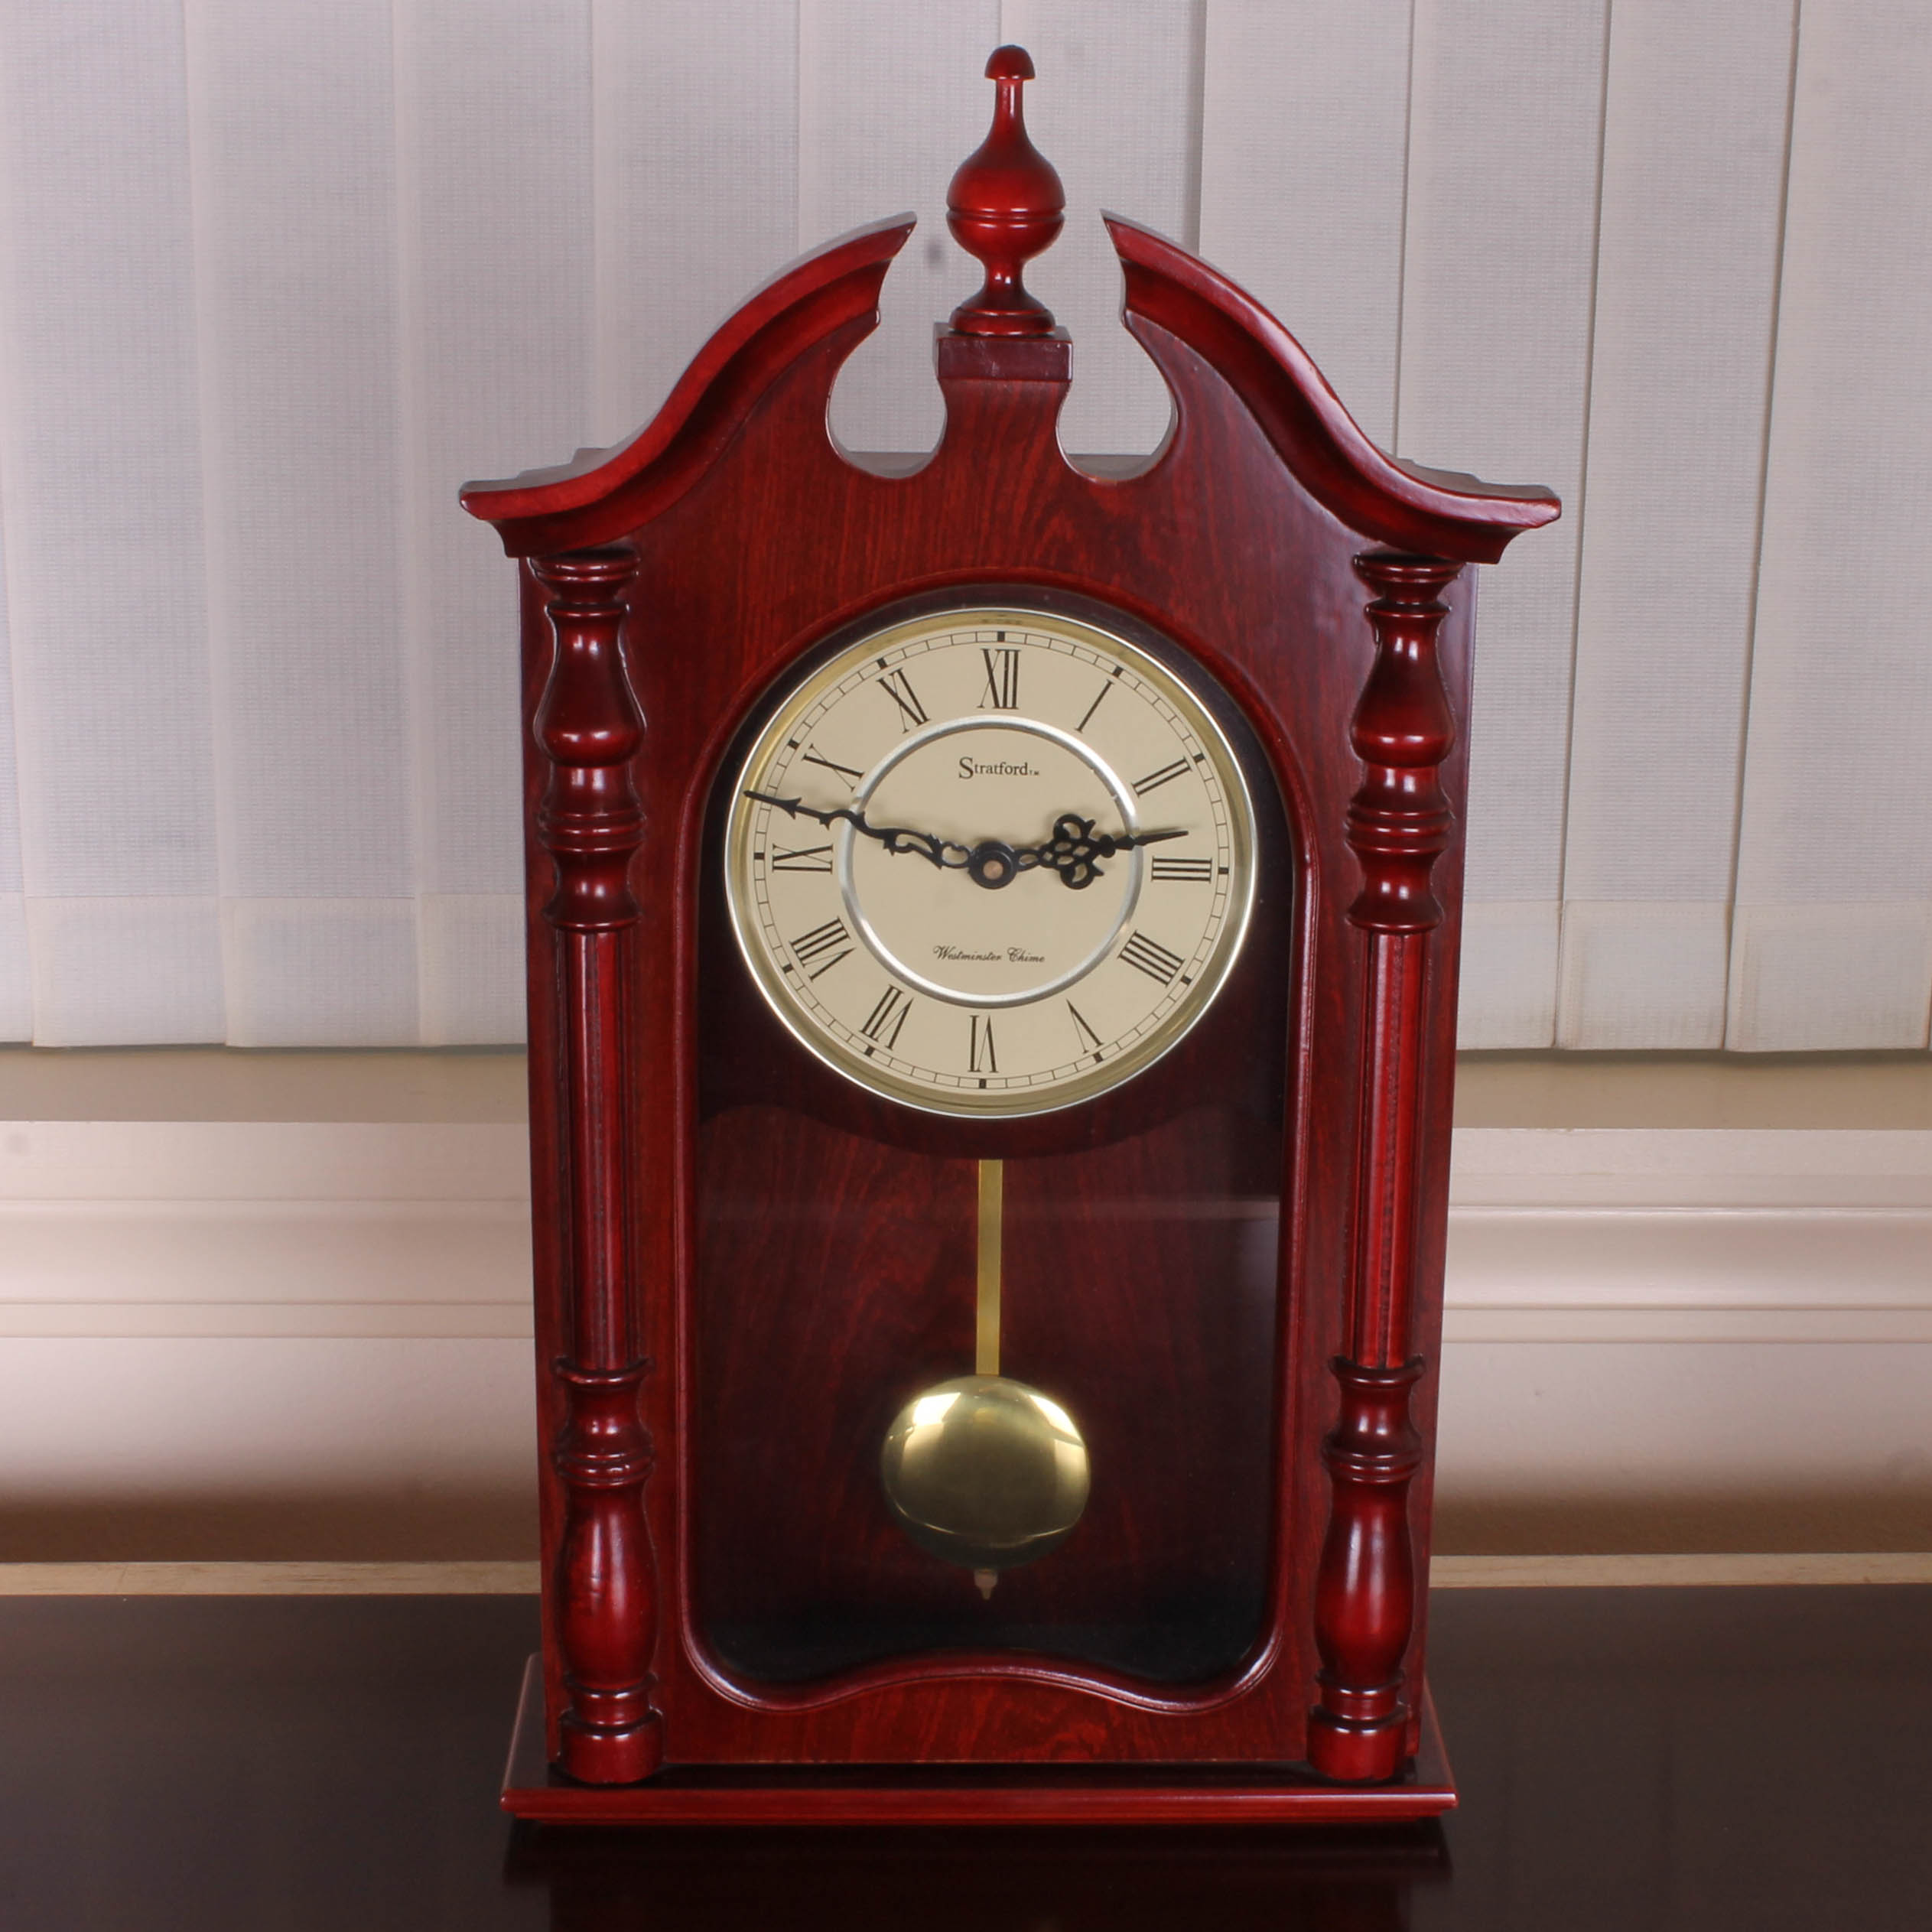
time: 2:48
